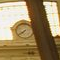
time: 7:38
